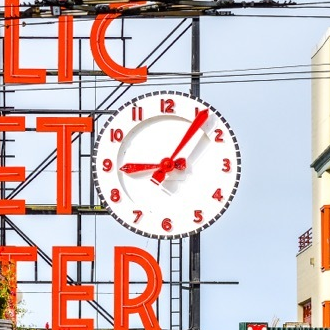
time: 9:06
